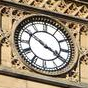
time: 3:50
